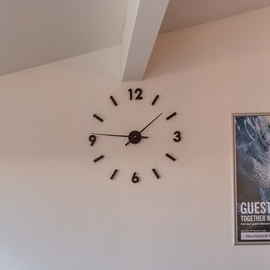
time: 1:46
